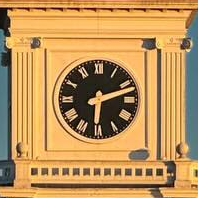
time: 6:12
